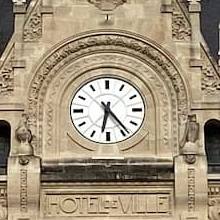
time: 6:23
